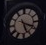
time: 5:18
